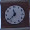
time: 11:37
